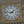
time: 1:46
